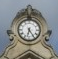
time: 6:24
